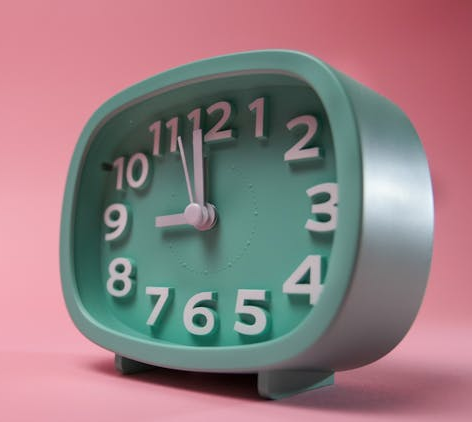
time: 8:59
